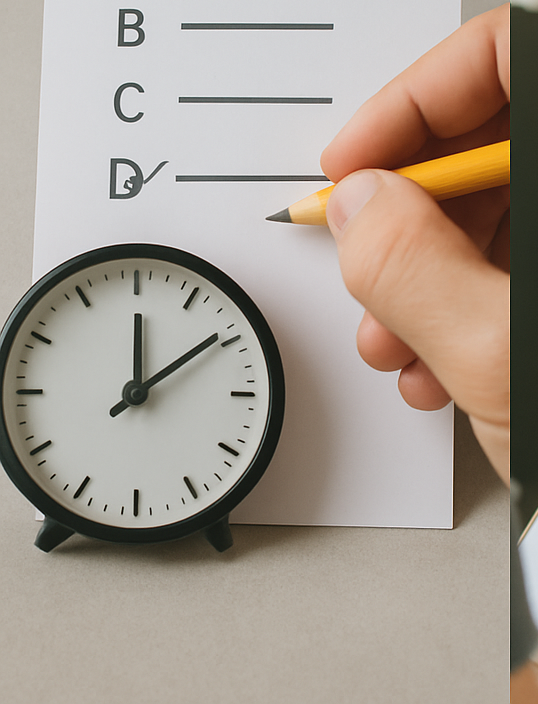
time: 12:09
